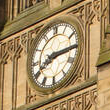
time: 8:14
